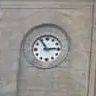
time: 2:54
